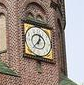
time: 12:37
